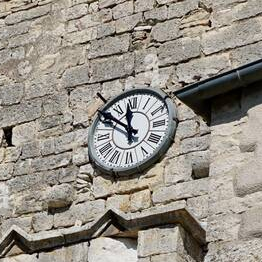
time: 11:51
